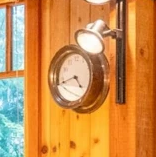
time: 4:42
